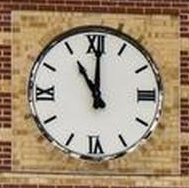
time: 11:00
